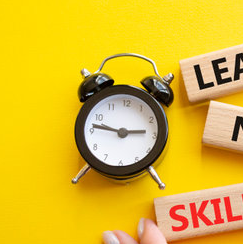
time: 2:46
